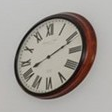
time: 8:11
